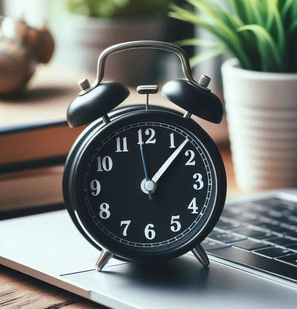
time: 1:07
